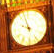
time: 9:57
